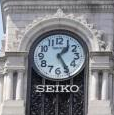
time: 1:24
